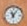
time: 11:05
